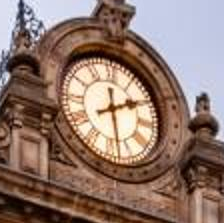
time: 12:09
